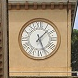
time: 1:26
